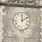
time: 12:09
